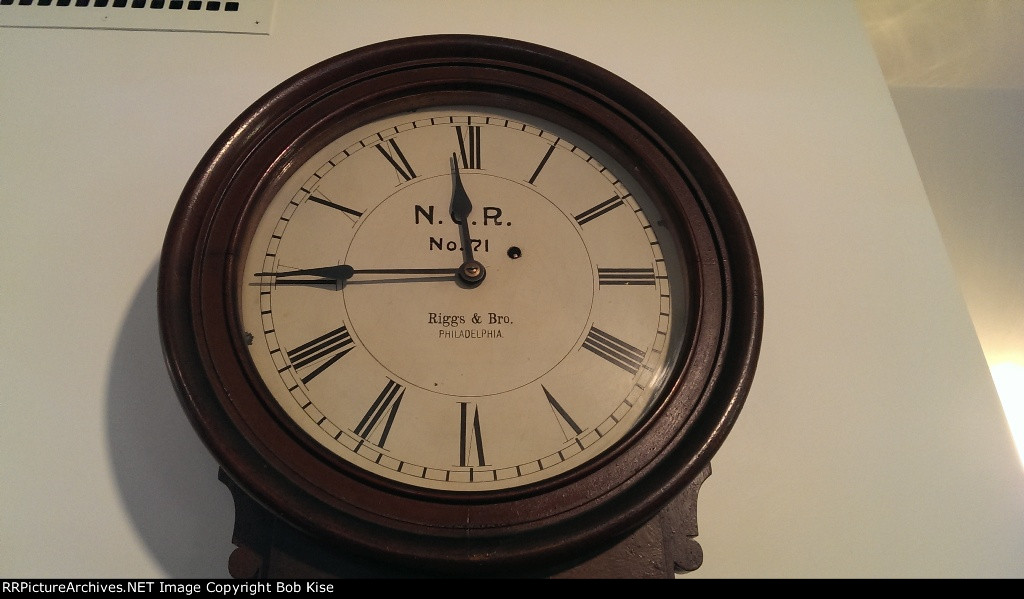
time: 11:44
